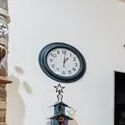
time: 1:01
